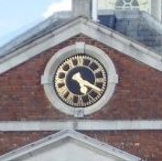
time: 5:18
